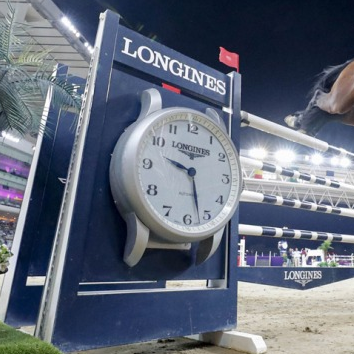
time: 9:27
